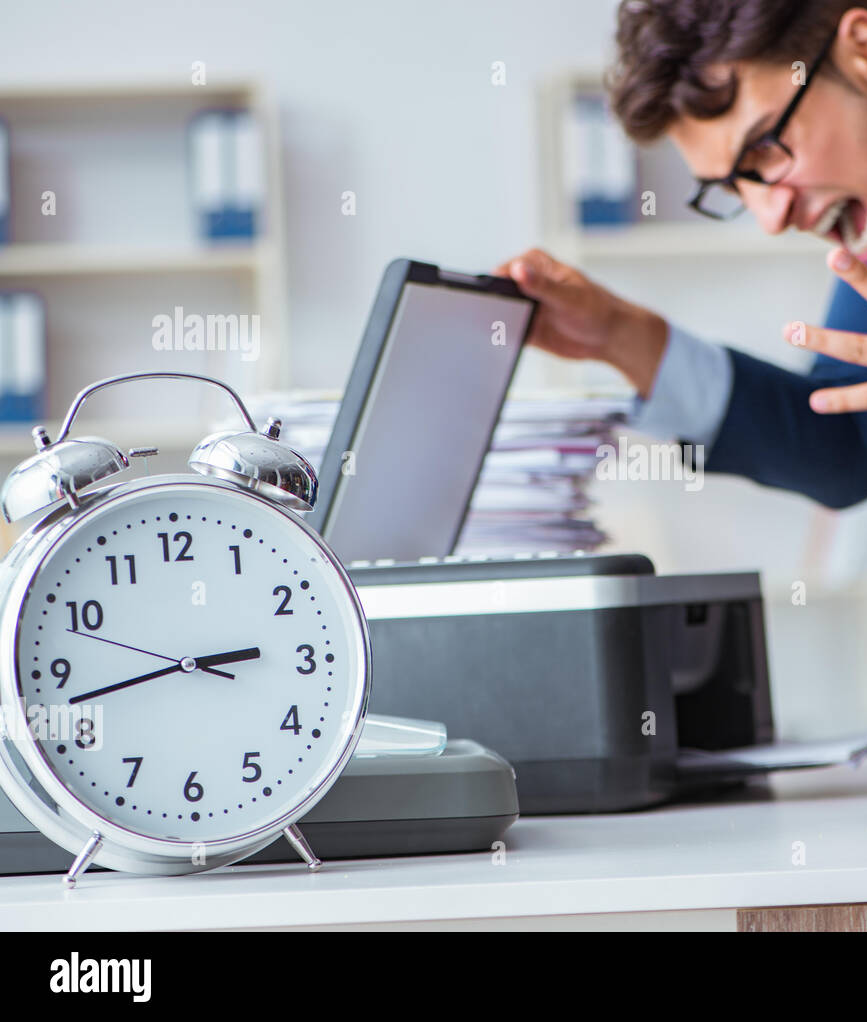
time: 2:42
